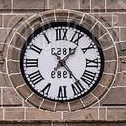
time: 1:23
